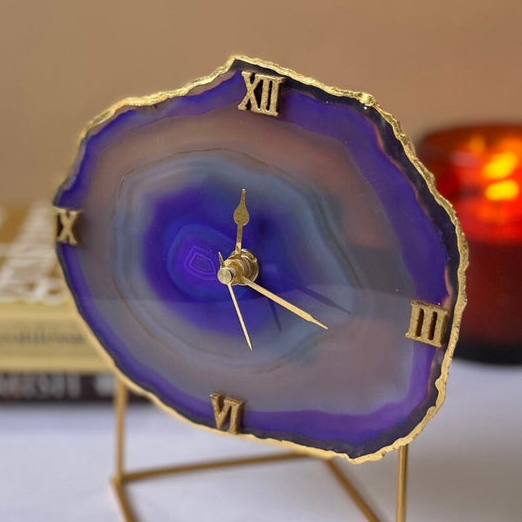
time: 12:19
